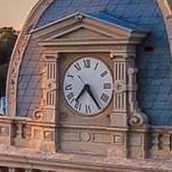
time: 7:24
